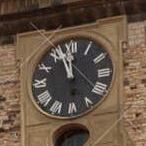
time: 11:56
